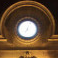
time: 7:03
